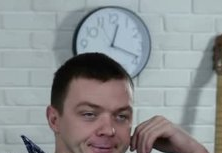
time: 12:18
